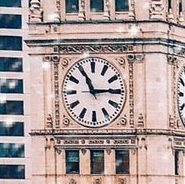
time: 11:14
